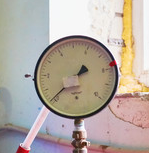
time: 2:36
